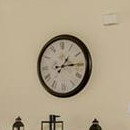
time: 1:14
